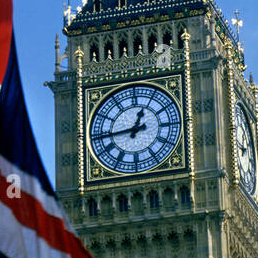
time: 12:44
